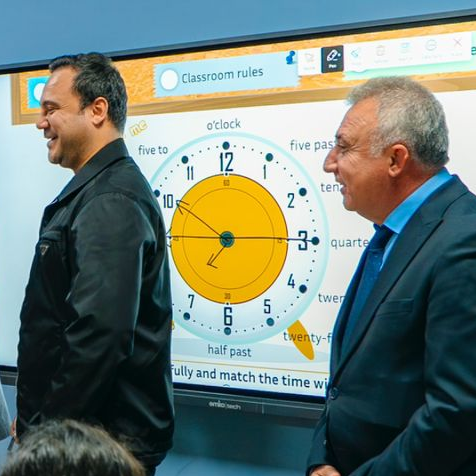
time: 7:14
